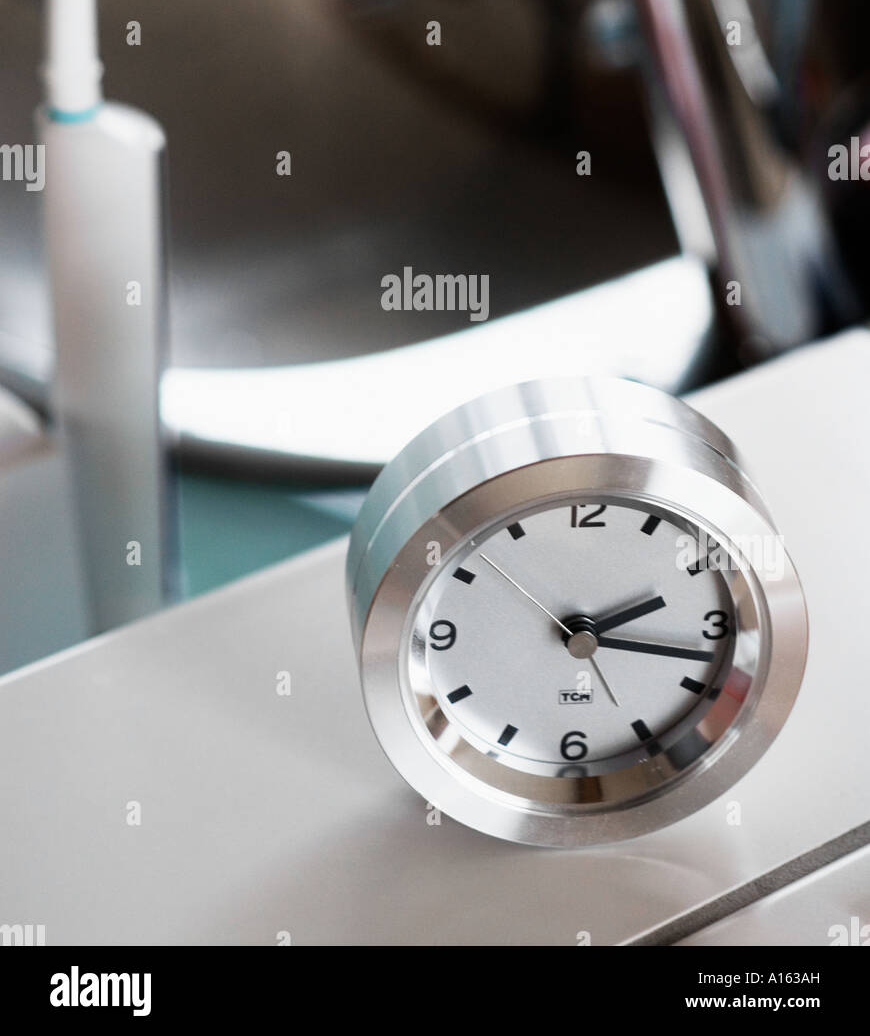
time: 2:17
